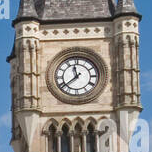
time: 11:38
